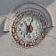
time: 11:03
